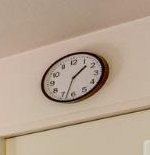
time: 1:33
